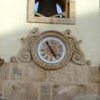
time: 4:54
